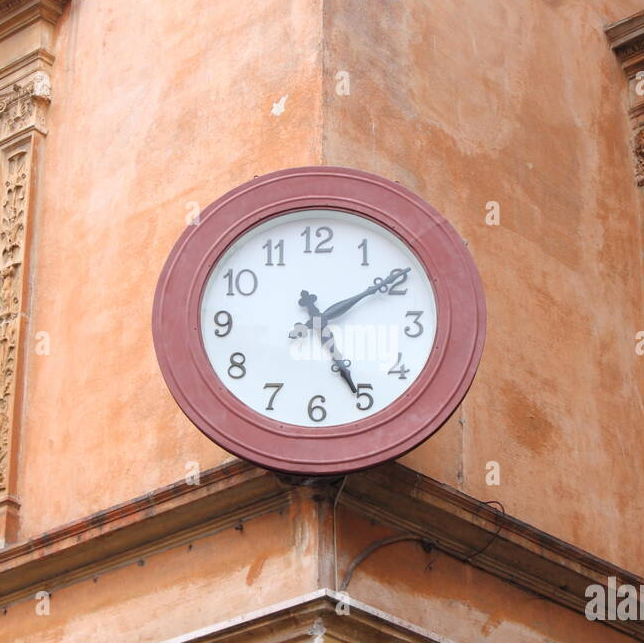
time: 5:09
